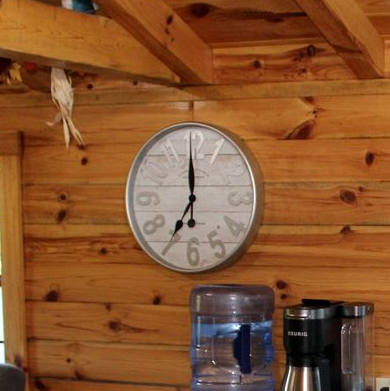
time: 6:59
